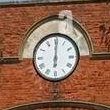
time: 6:00
